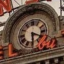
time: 3:29
